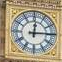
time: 12:14
